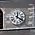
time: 12:20
